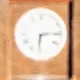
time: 6:13
